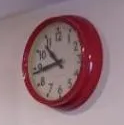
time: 10:43
